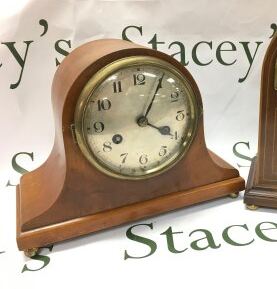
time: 4:04
